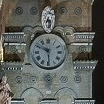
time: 5:49
